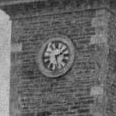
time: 2:28
